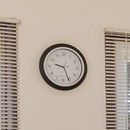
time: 9:26
